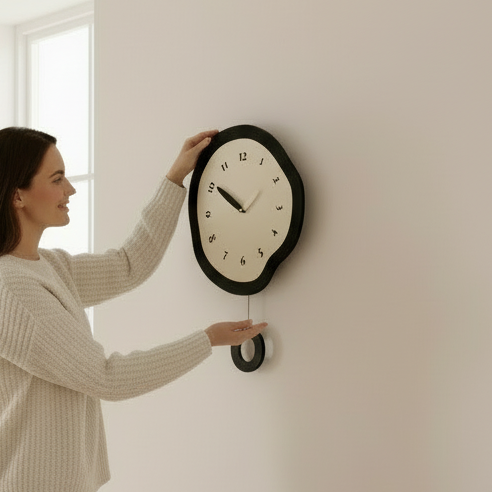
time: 9:50
